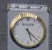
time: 5:22
